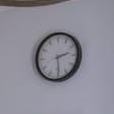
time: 2:29
